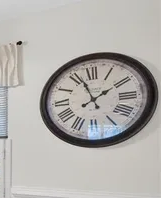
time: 1:56
